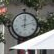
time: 12:12
